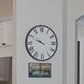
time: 9:48
